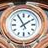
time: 1:55
